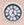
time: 12:23
